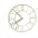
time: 7:52
